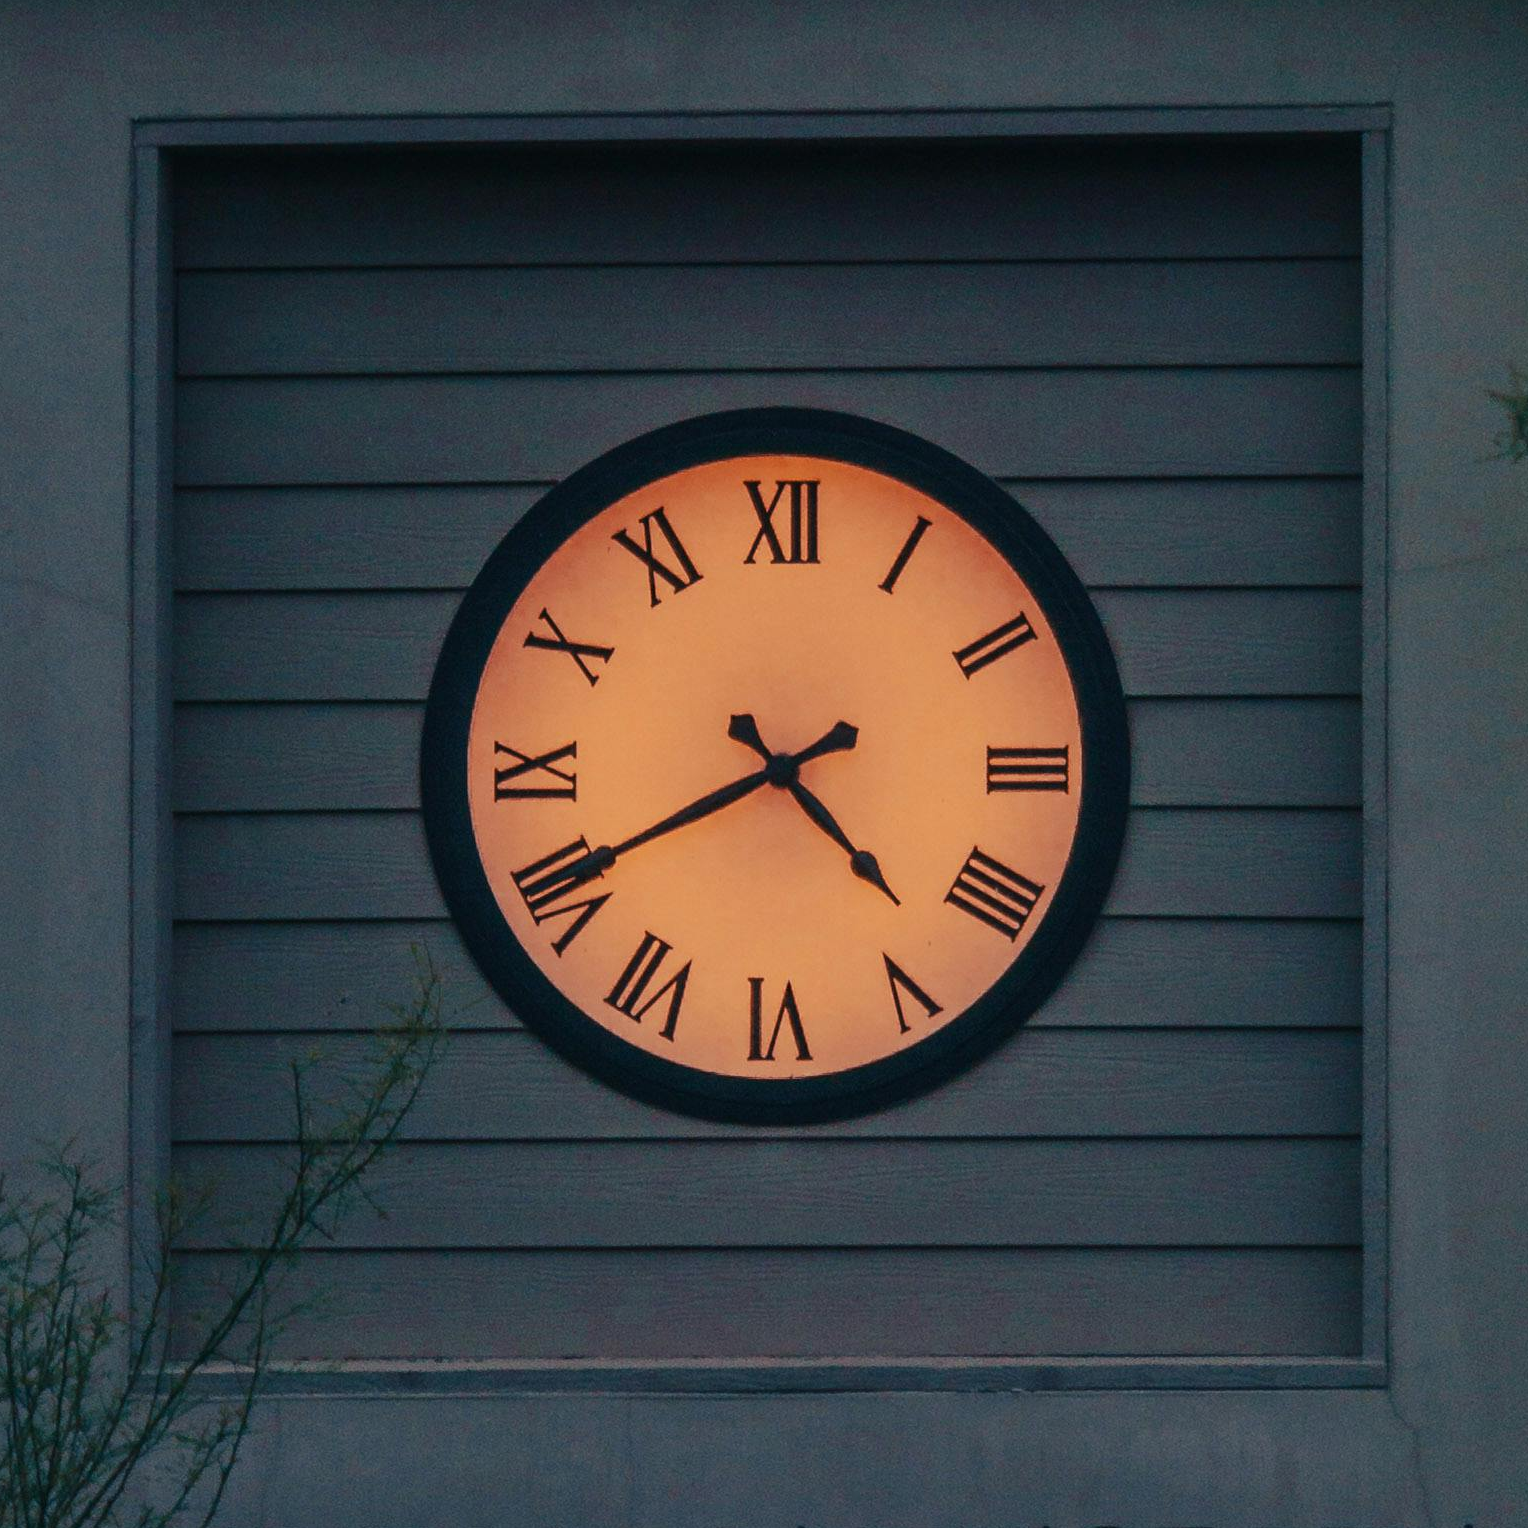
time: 4:40
